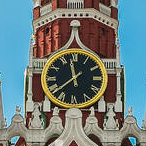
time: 11:37
